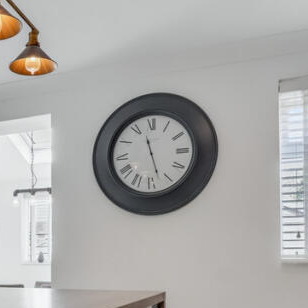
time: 11:27
